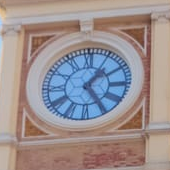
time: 1:24
